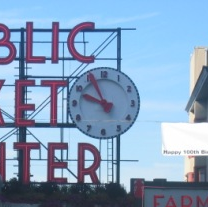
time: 9:55
